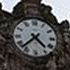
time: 4:37
